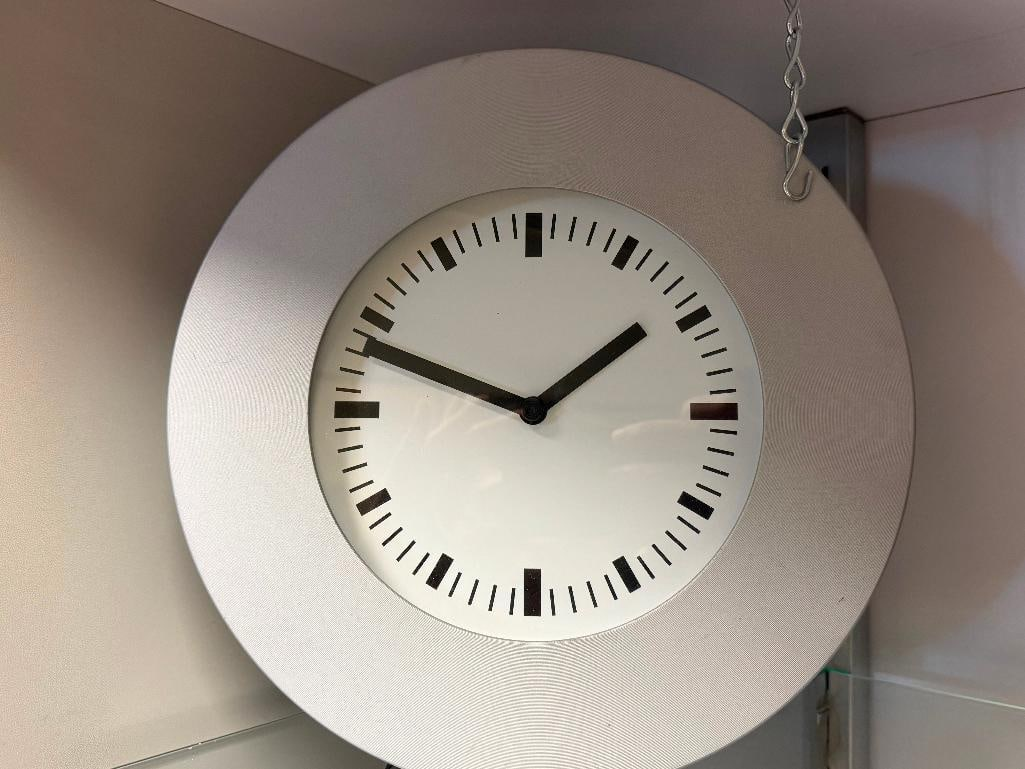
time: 1:48
